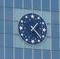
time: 1:22
